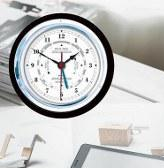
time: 1:49
